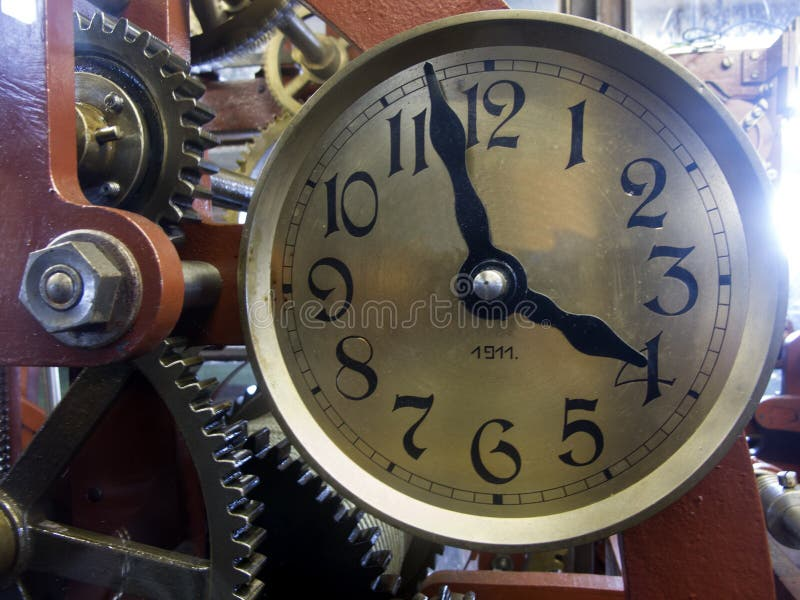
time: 3:57
